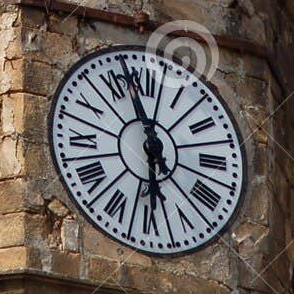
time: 5:57
